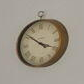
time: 3:51
